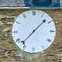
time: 1:37
